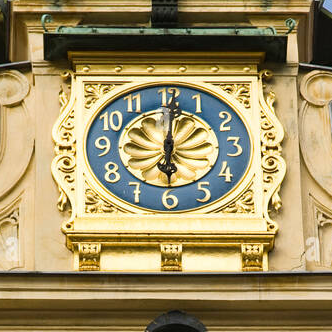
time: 6:00
